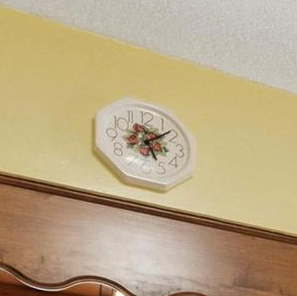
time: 5:08
